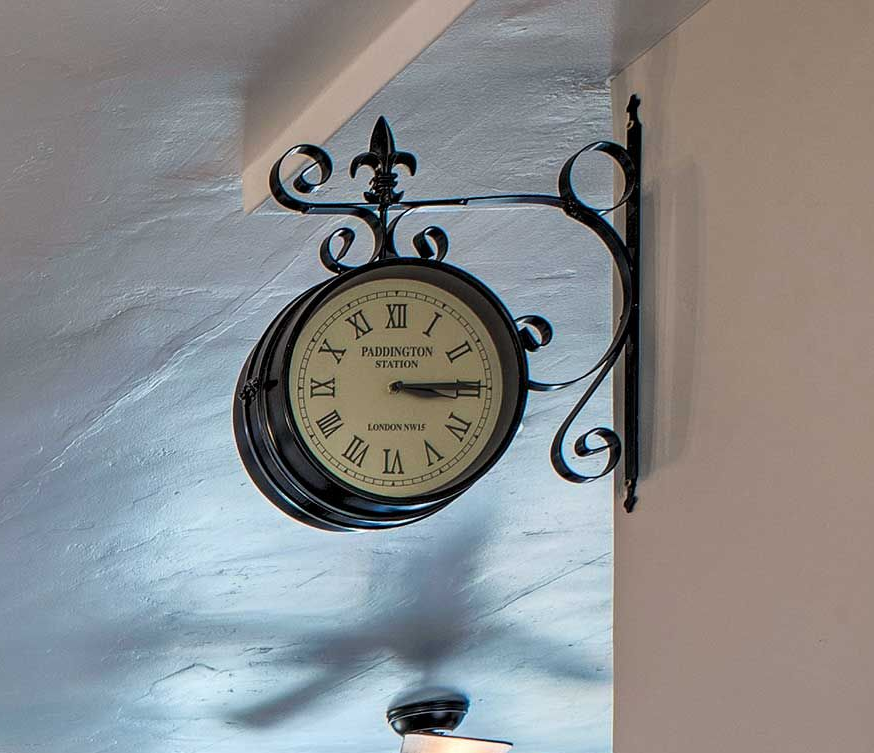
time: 3:14
